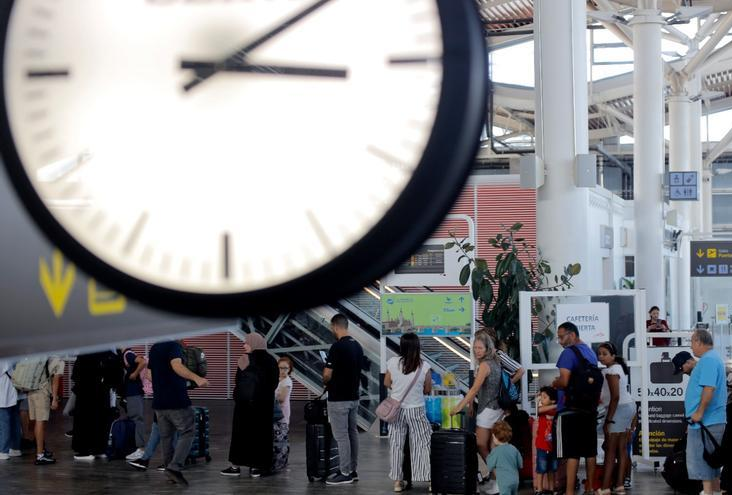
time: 3:09
